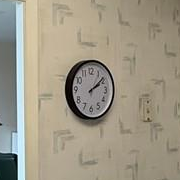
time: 2:08
